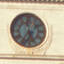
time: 5:35
